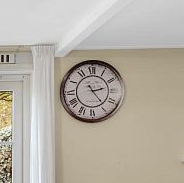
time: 2:24
